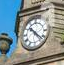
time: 10:21
